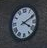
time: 4:10
